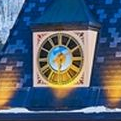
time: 6:08
